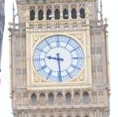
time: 9:29
